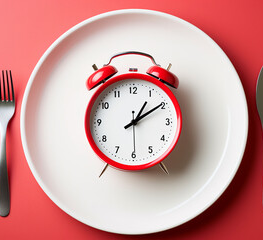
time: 1:09
